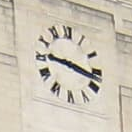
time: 9:17
